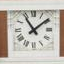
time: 11:08
